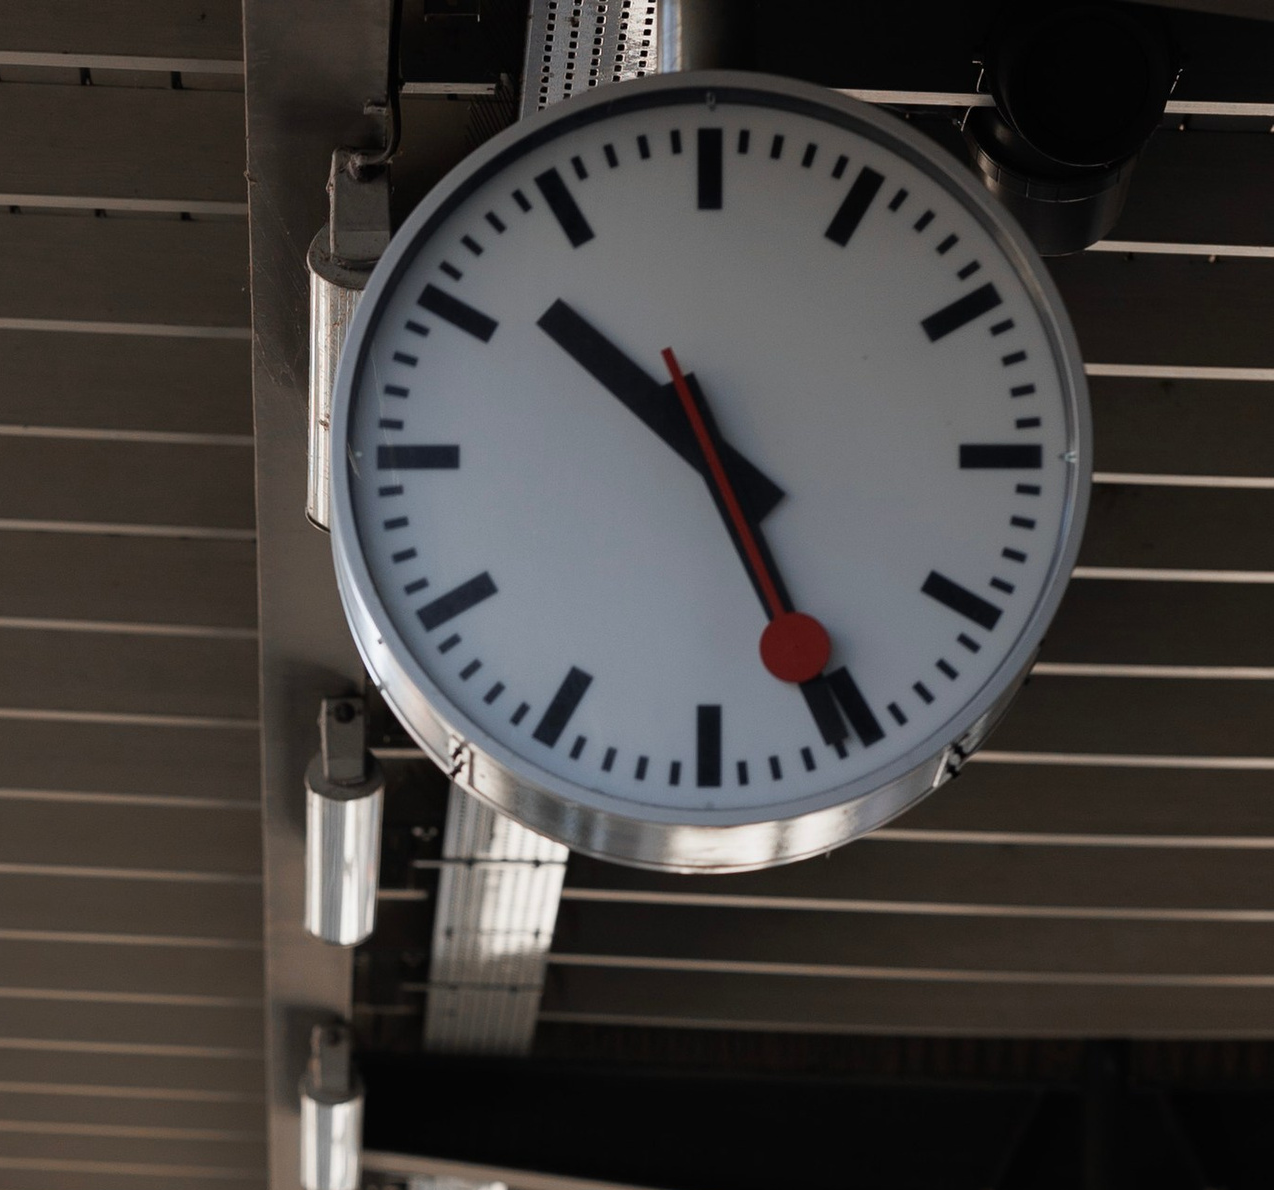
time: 10:26
